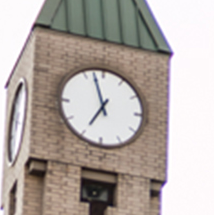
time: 6:57
